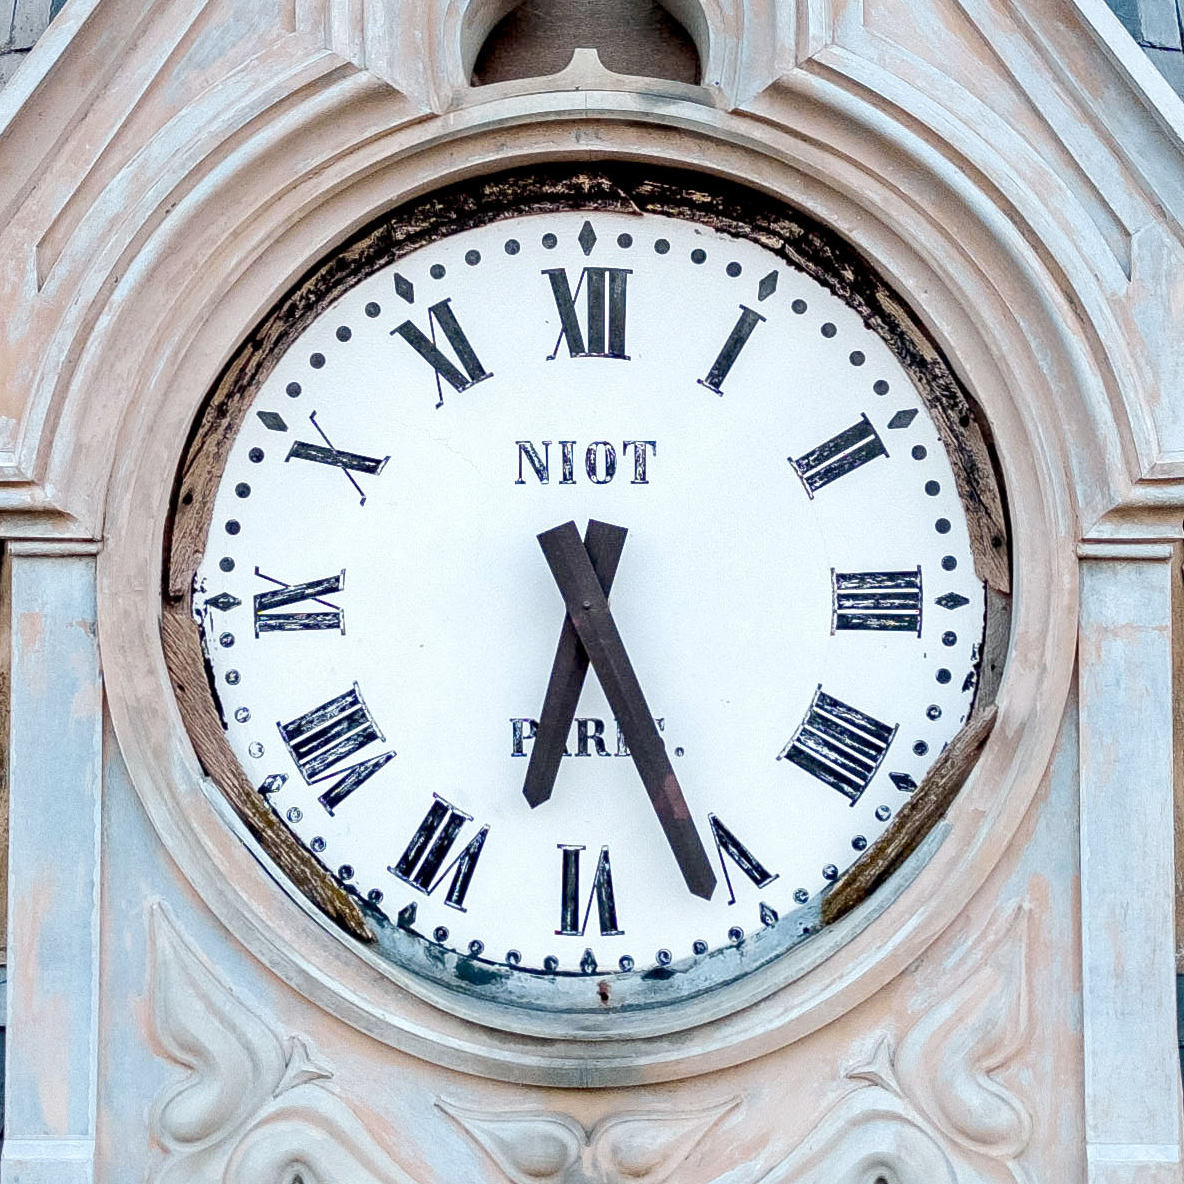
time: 6:26
